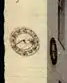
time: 3:40
